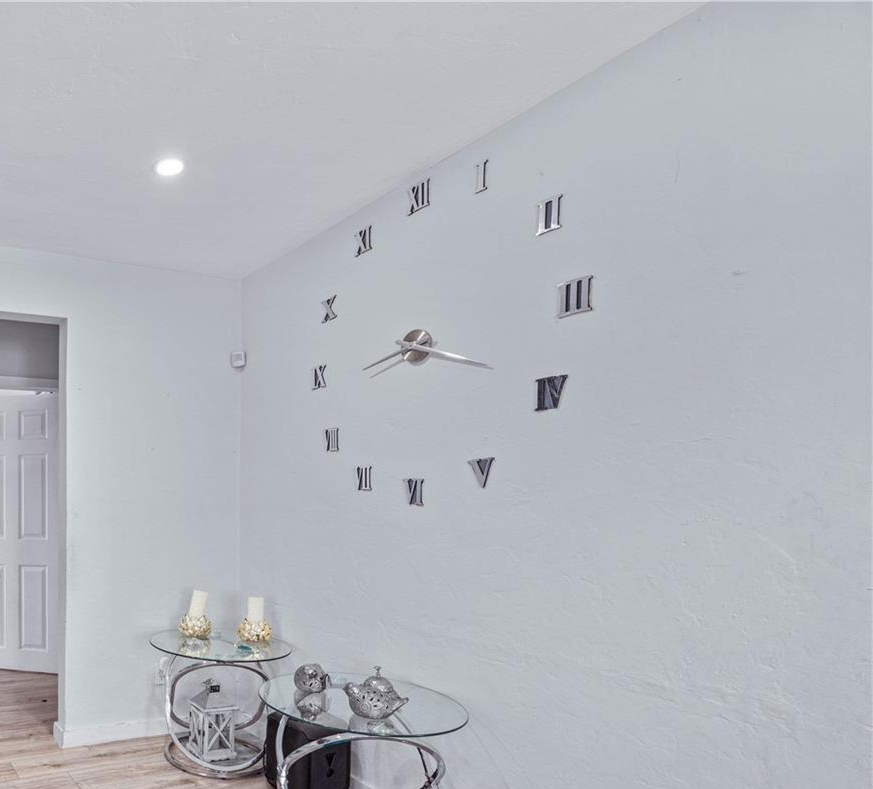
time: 3:43
